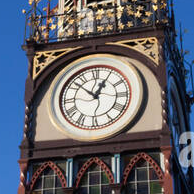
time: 12:52
